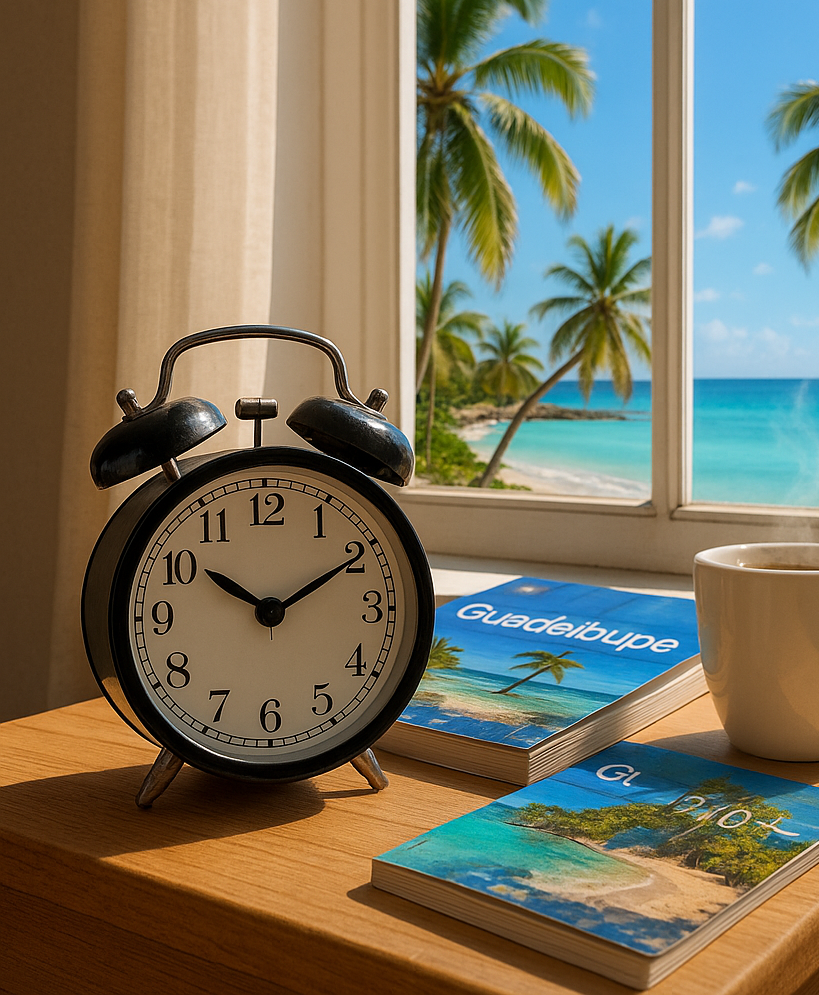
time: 10:10
